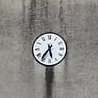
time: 5:36
